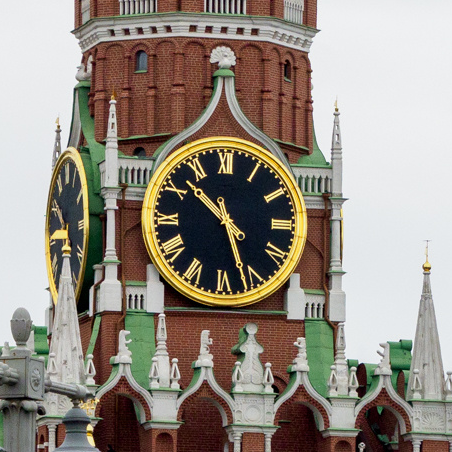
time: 10:26
